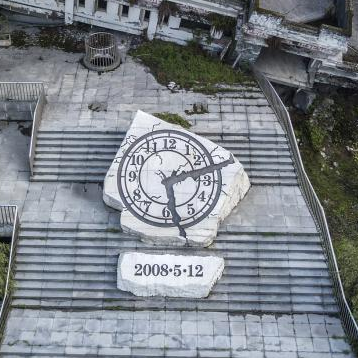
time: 2:28
